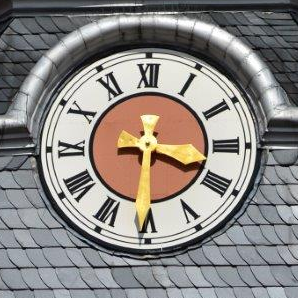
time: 3:30
